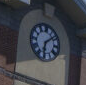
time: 6:08
